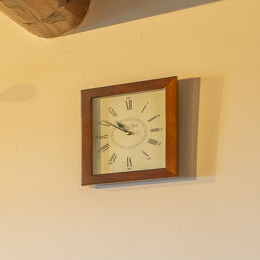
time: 9:50
